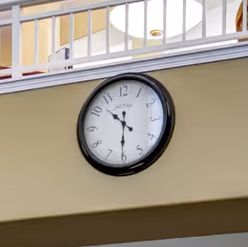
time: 10:30
